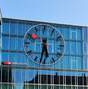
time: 5:32
